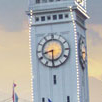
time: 8:30
